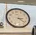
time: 3:22
